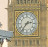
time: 2:36
